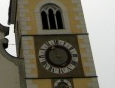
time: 4:57
